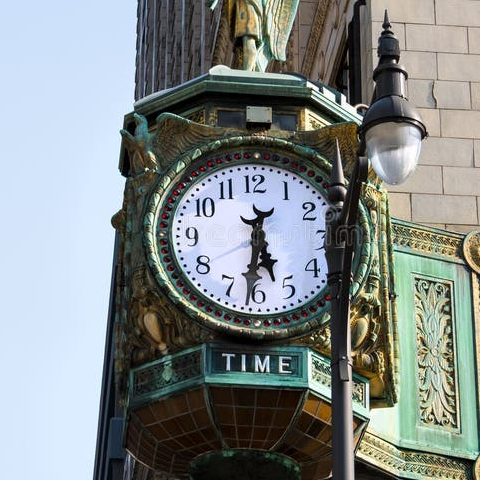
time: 5:31
